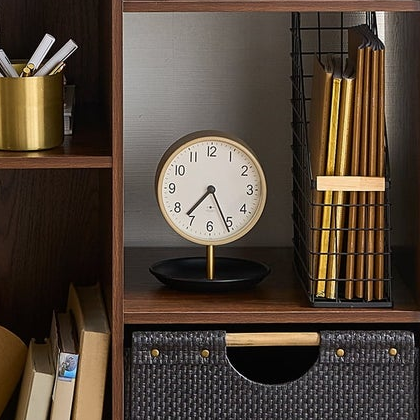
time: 7:25
